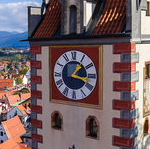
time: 1:18
